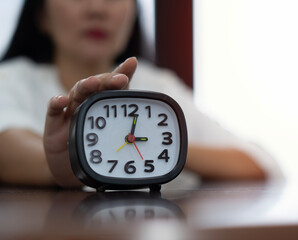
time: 3:02
